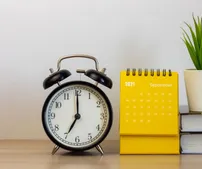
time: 7:00
